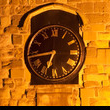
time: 6:43
